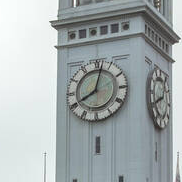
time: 8:02
